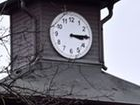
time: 3:14
